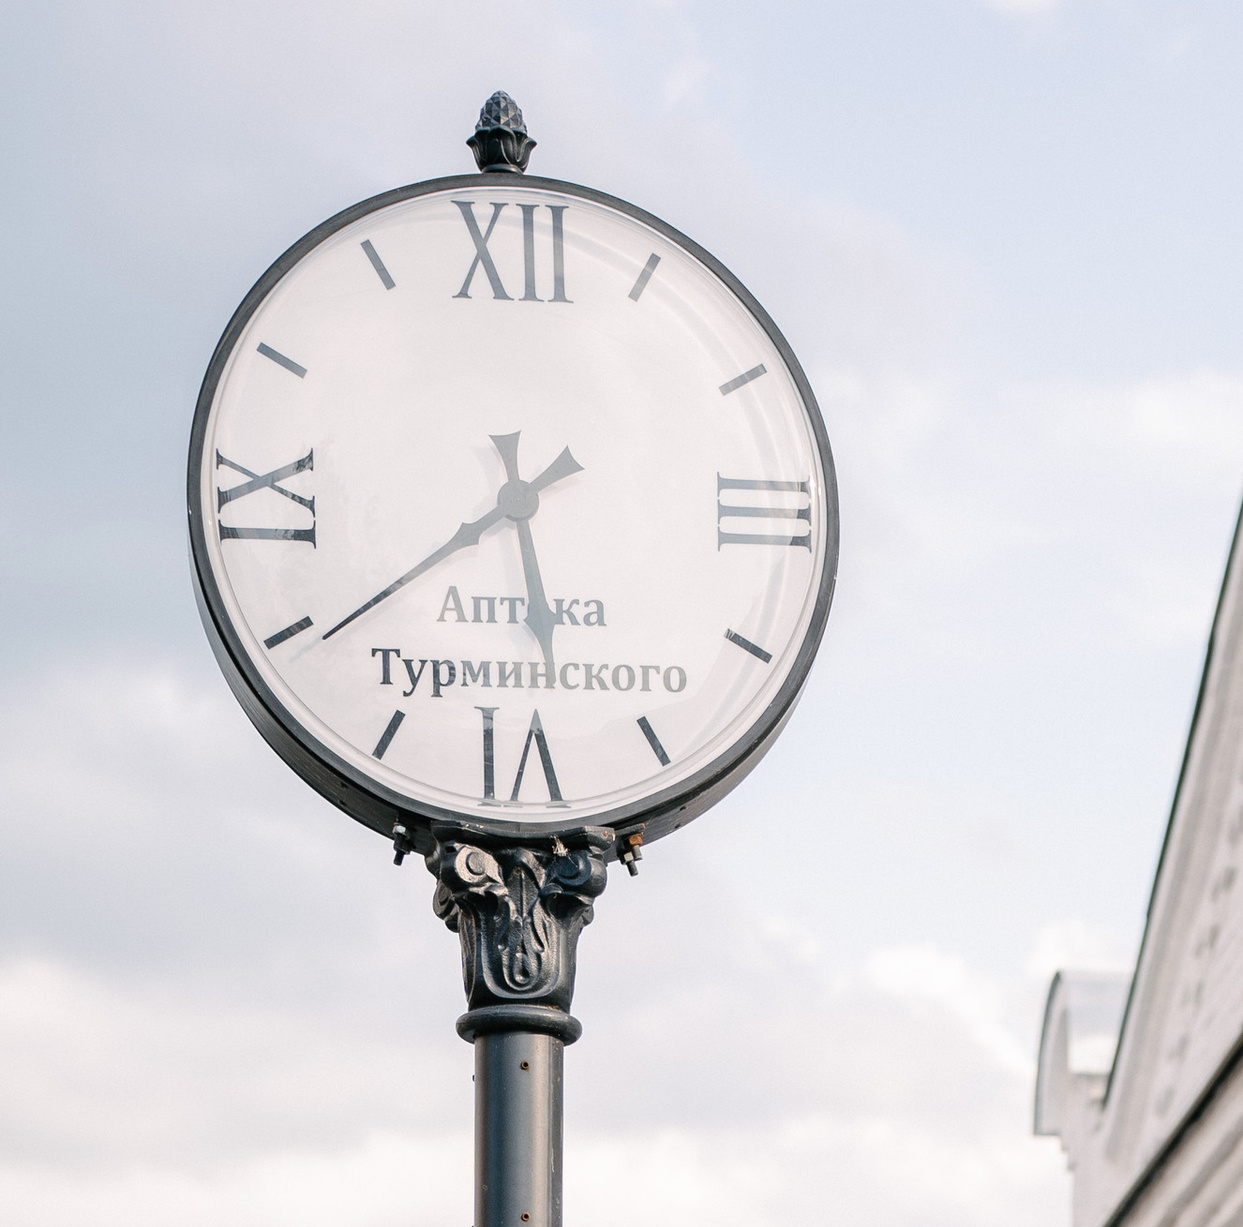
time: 5:39
